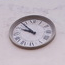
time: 9:53
